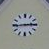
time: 2:44
